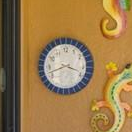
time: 3:42
